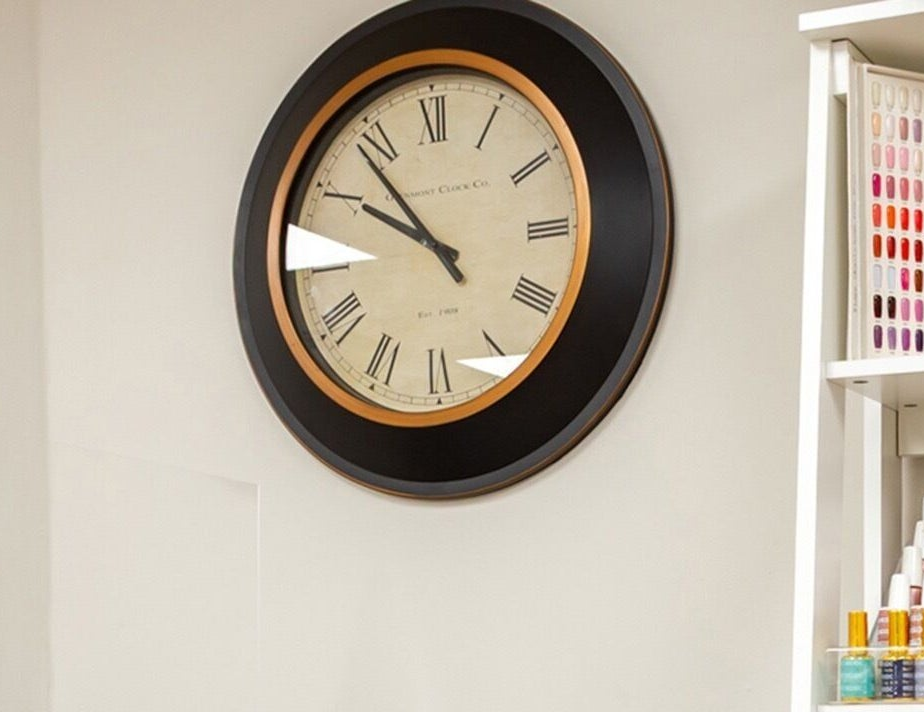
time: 9:53
